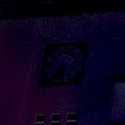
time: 6:34
